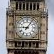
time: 9:05
